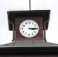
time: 3:14
